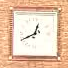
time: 12:40
